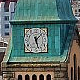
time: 1:27
